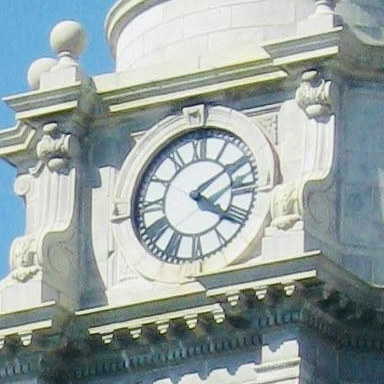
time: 4:09
